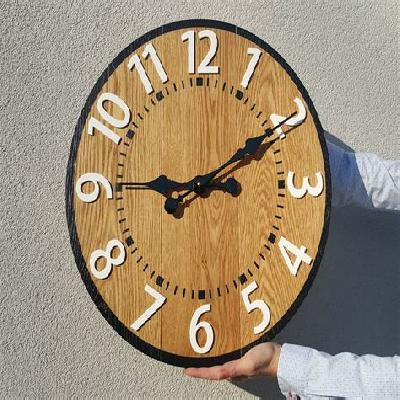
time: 9:10
